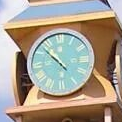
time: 4:52
